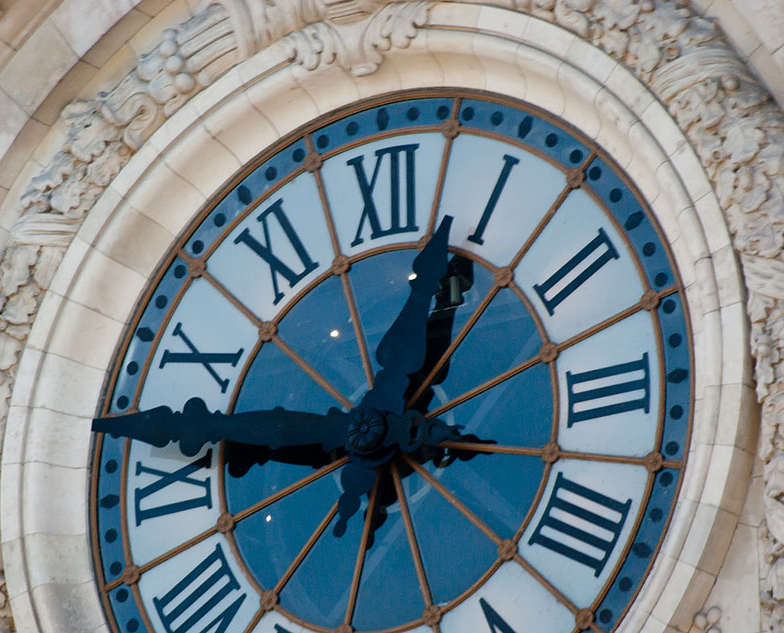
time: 12:46
